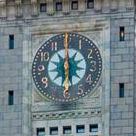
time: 5:59
